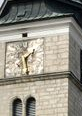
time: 1:28
